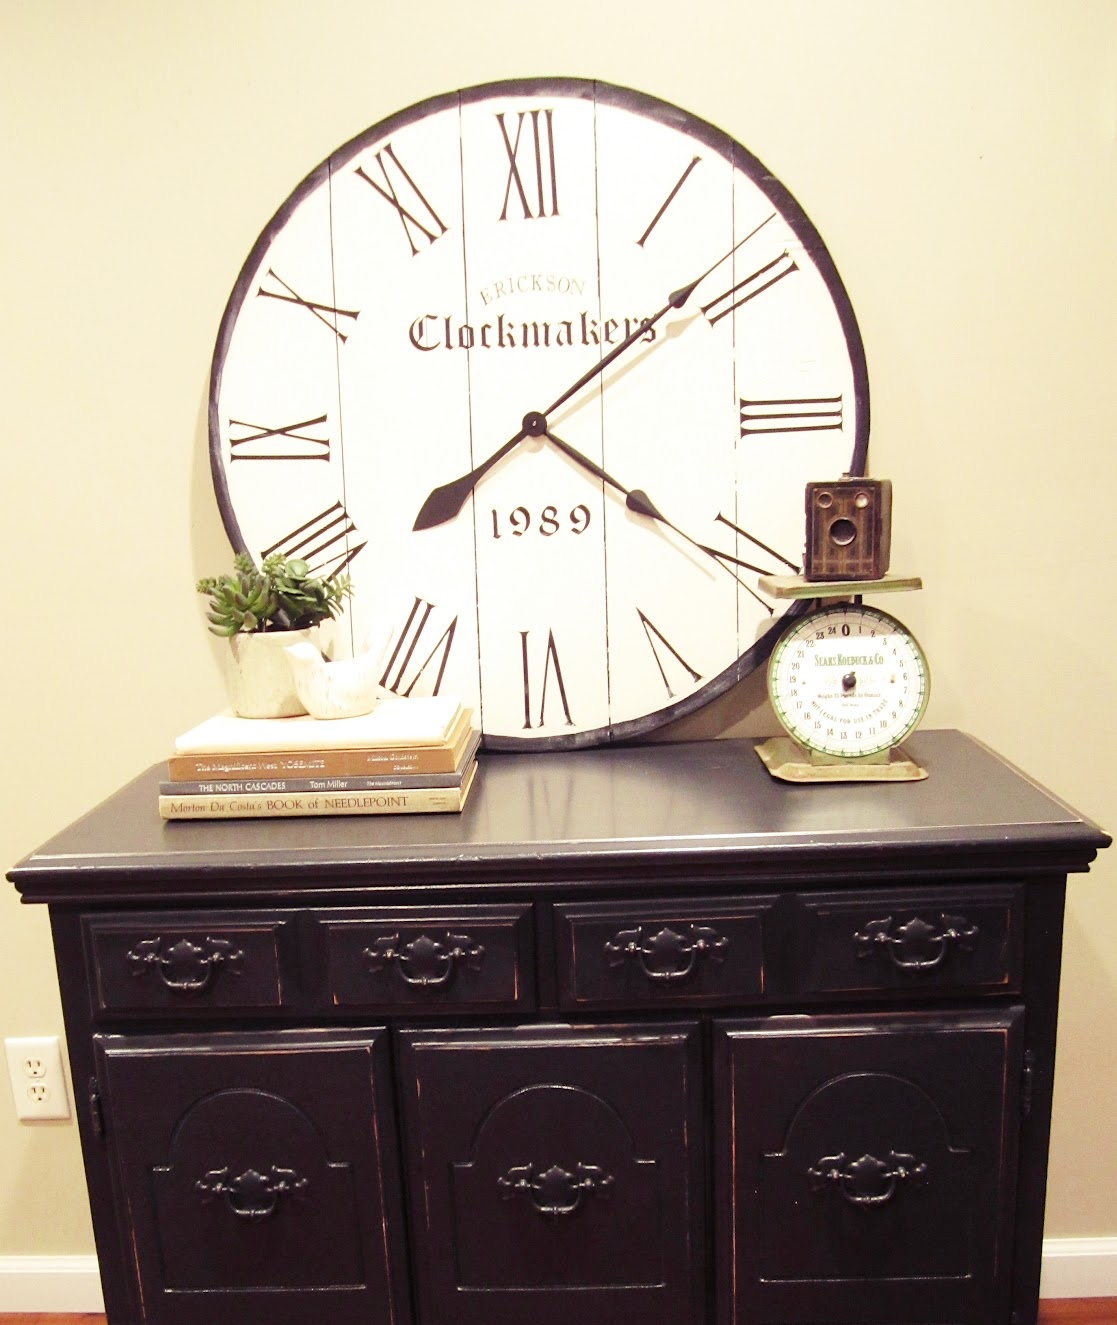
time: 4:08
